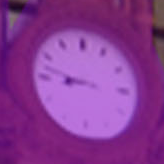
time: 8:47
